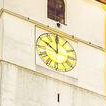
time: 9:59
